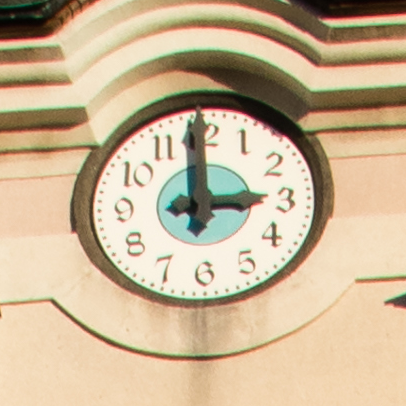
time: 2:59
